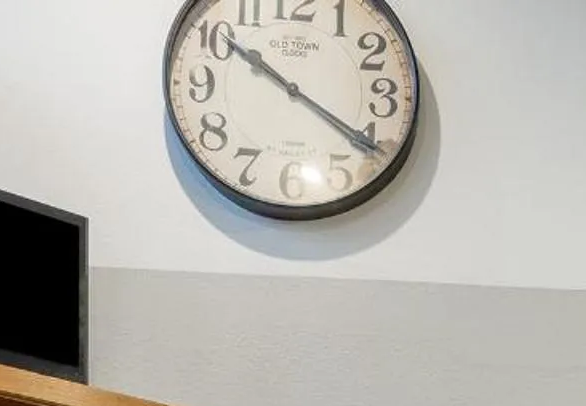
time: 10:20
